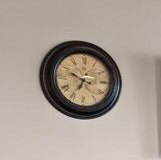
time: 6:49
